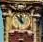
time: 11:53
